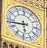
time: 5:43
